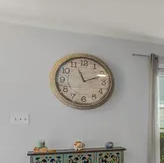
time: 11:11
